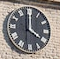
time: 4:00
